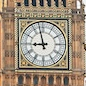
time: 8:57
